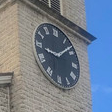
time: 9:08
